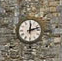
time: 12:12
